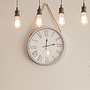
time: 12:13
